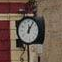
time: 12:06
